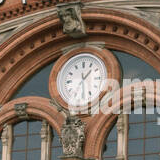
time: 1:28
